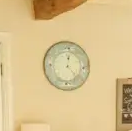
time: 12:23
